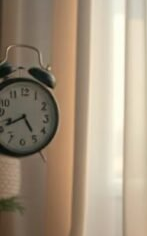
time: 4:40
